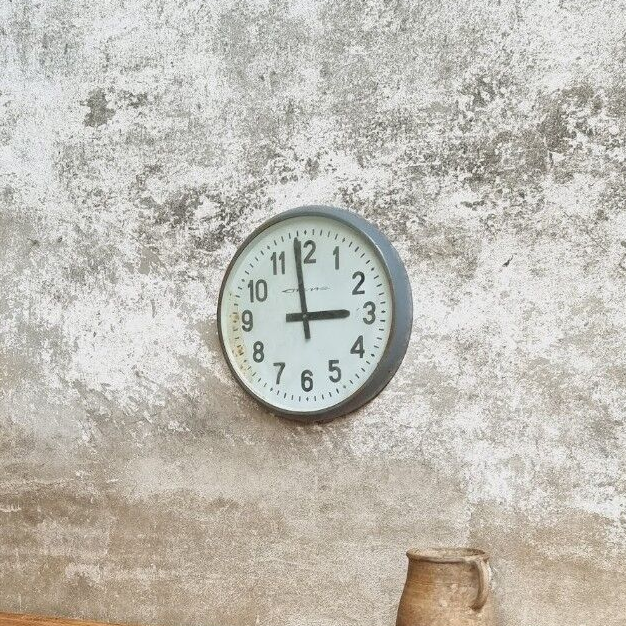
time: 2:58
